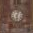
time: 6:03
